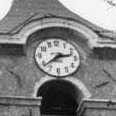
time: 2:38
